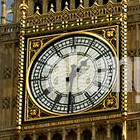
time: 1:30
